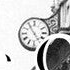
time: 4:54
